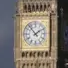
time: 1:53
